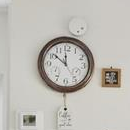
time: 11:51
